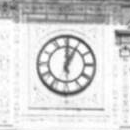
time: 1:00
